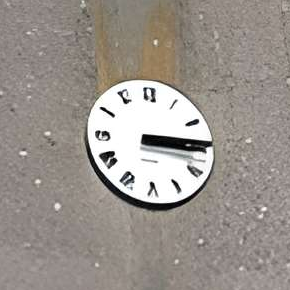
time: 3:14
